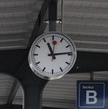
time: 11:13
